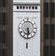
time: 5:31
